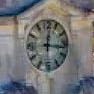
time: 12:16
